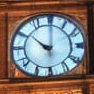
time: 10:00
